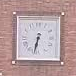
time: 6:32
